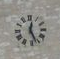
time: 12:26
